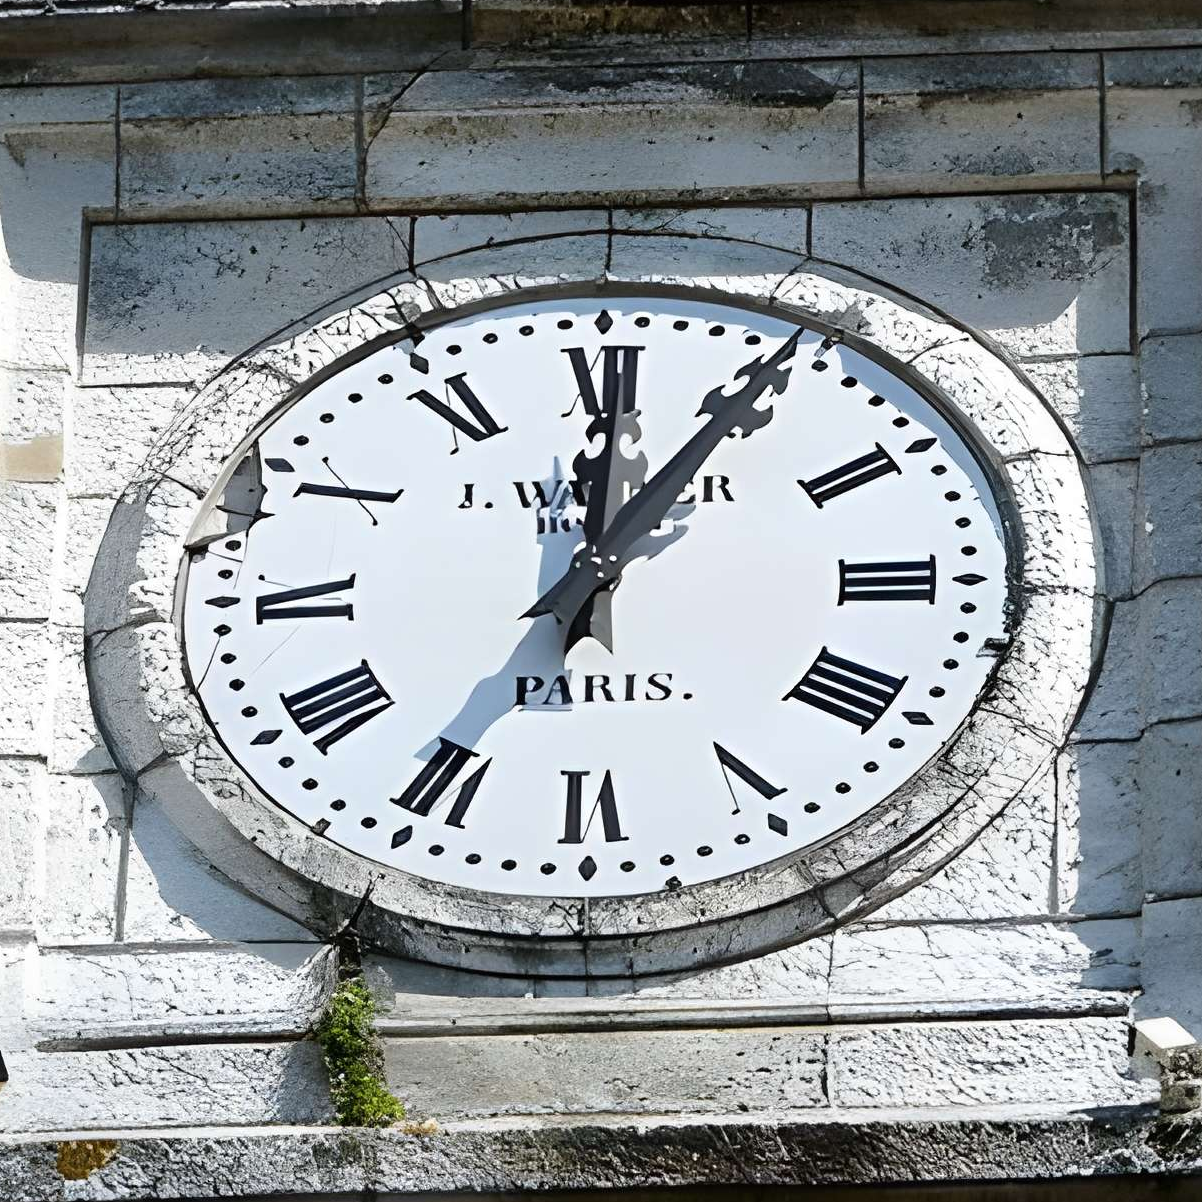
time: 12:05
